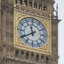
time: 11:39
